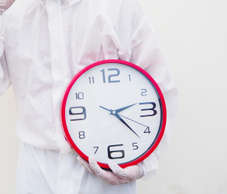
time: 2:22
